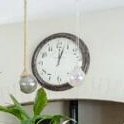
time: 12:03
